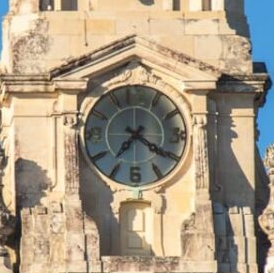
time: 7:20
